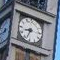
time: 8:33
